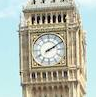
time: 2:09
